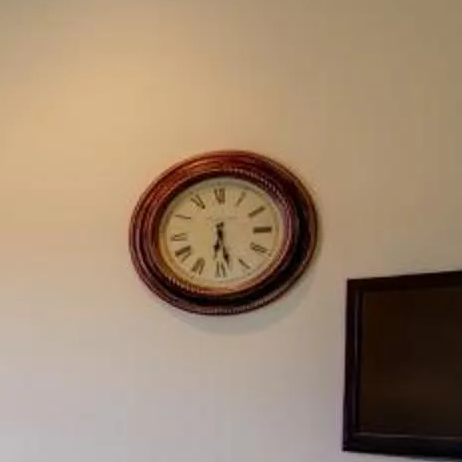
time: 6:28
